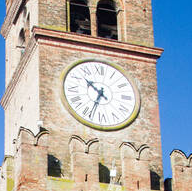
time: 10:34
